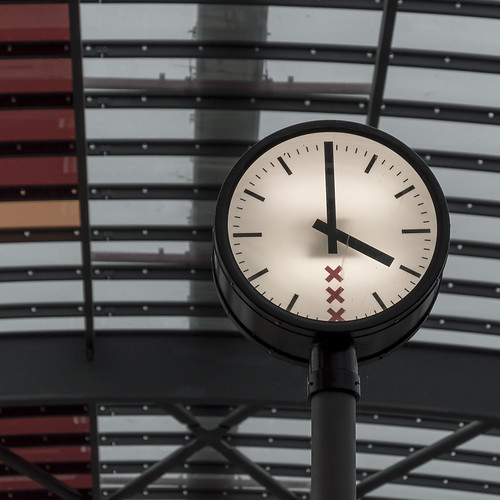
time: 4:00
